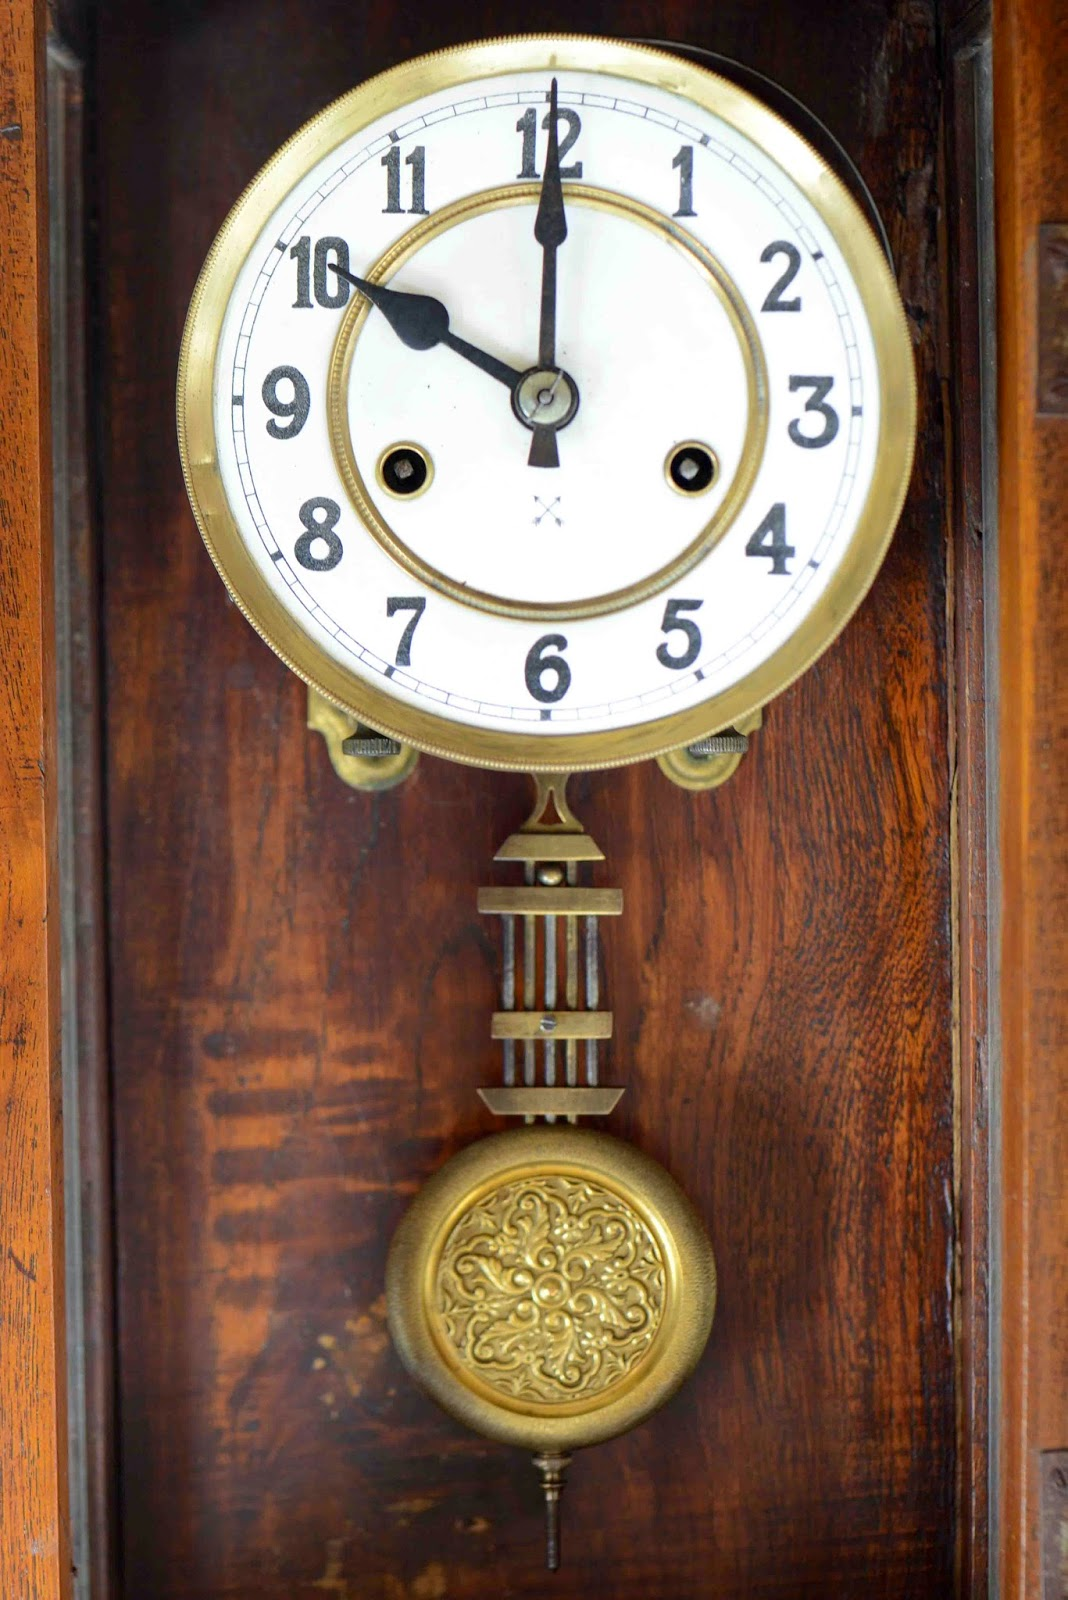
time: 10:00
